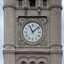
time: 11:08
